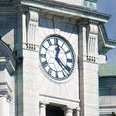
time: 12:21
